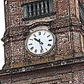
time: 10:28
